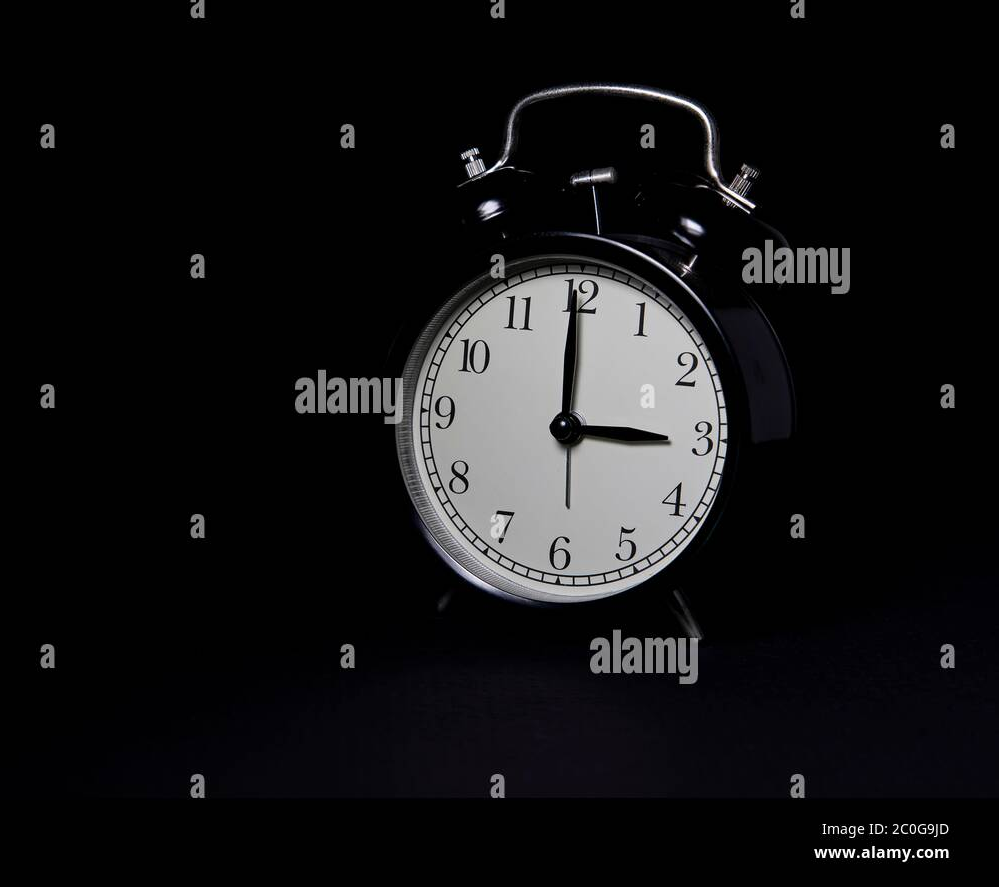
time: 2:59
